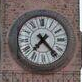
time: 7:23
